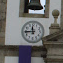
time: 11:44
